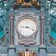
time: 9:18
